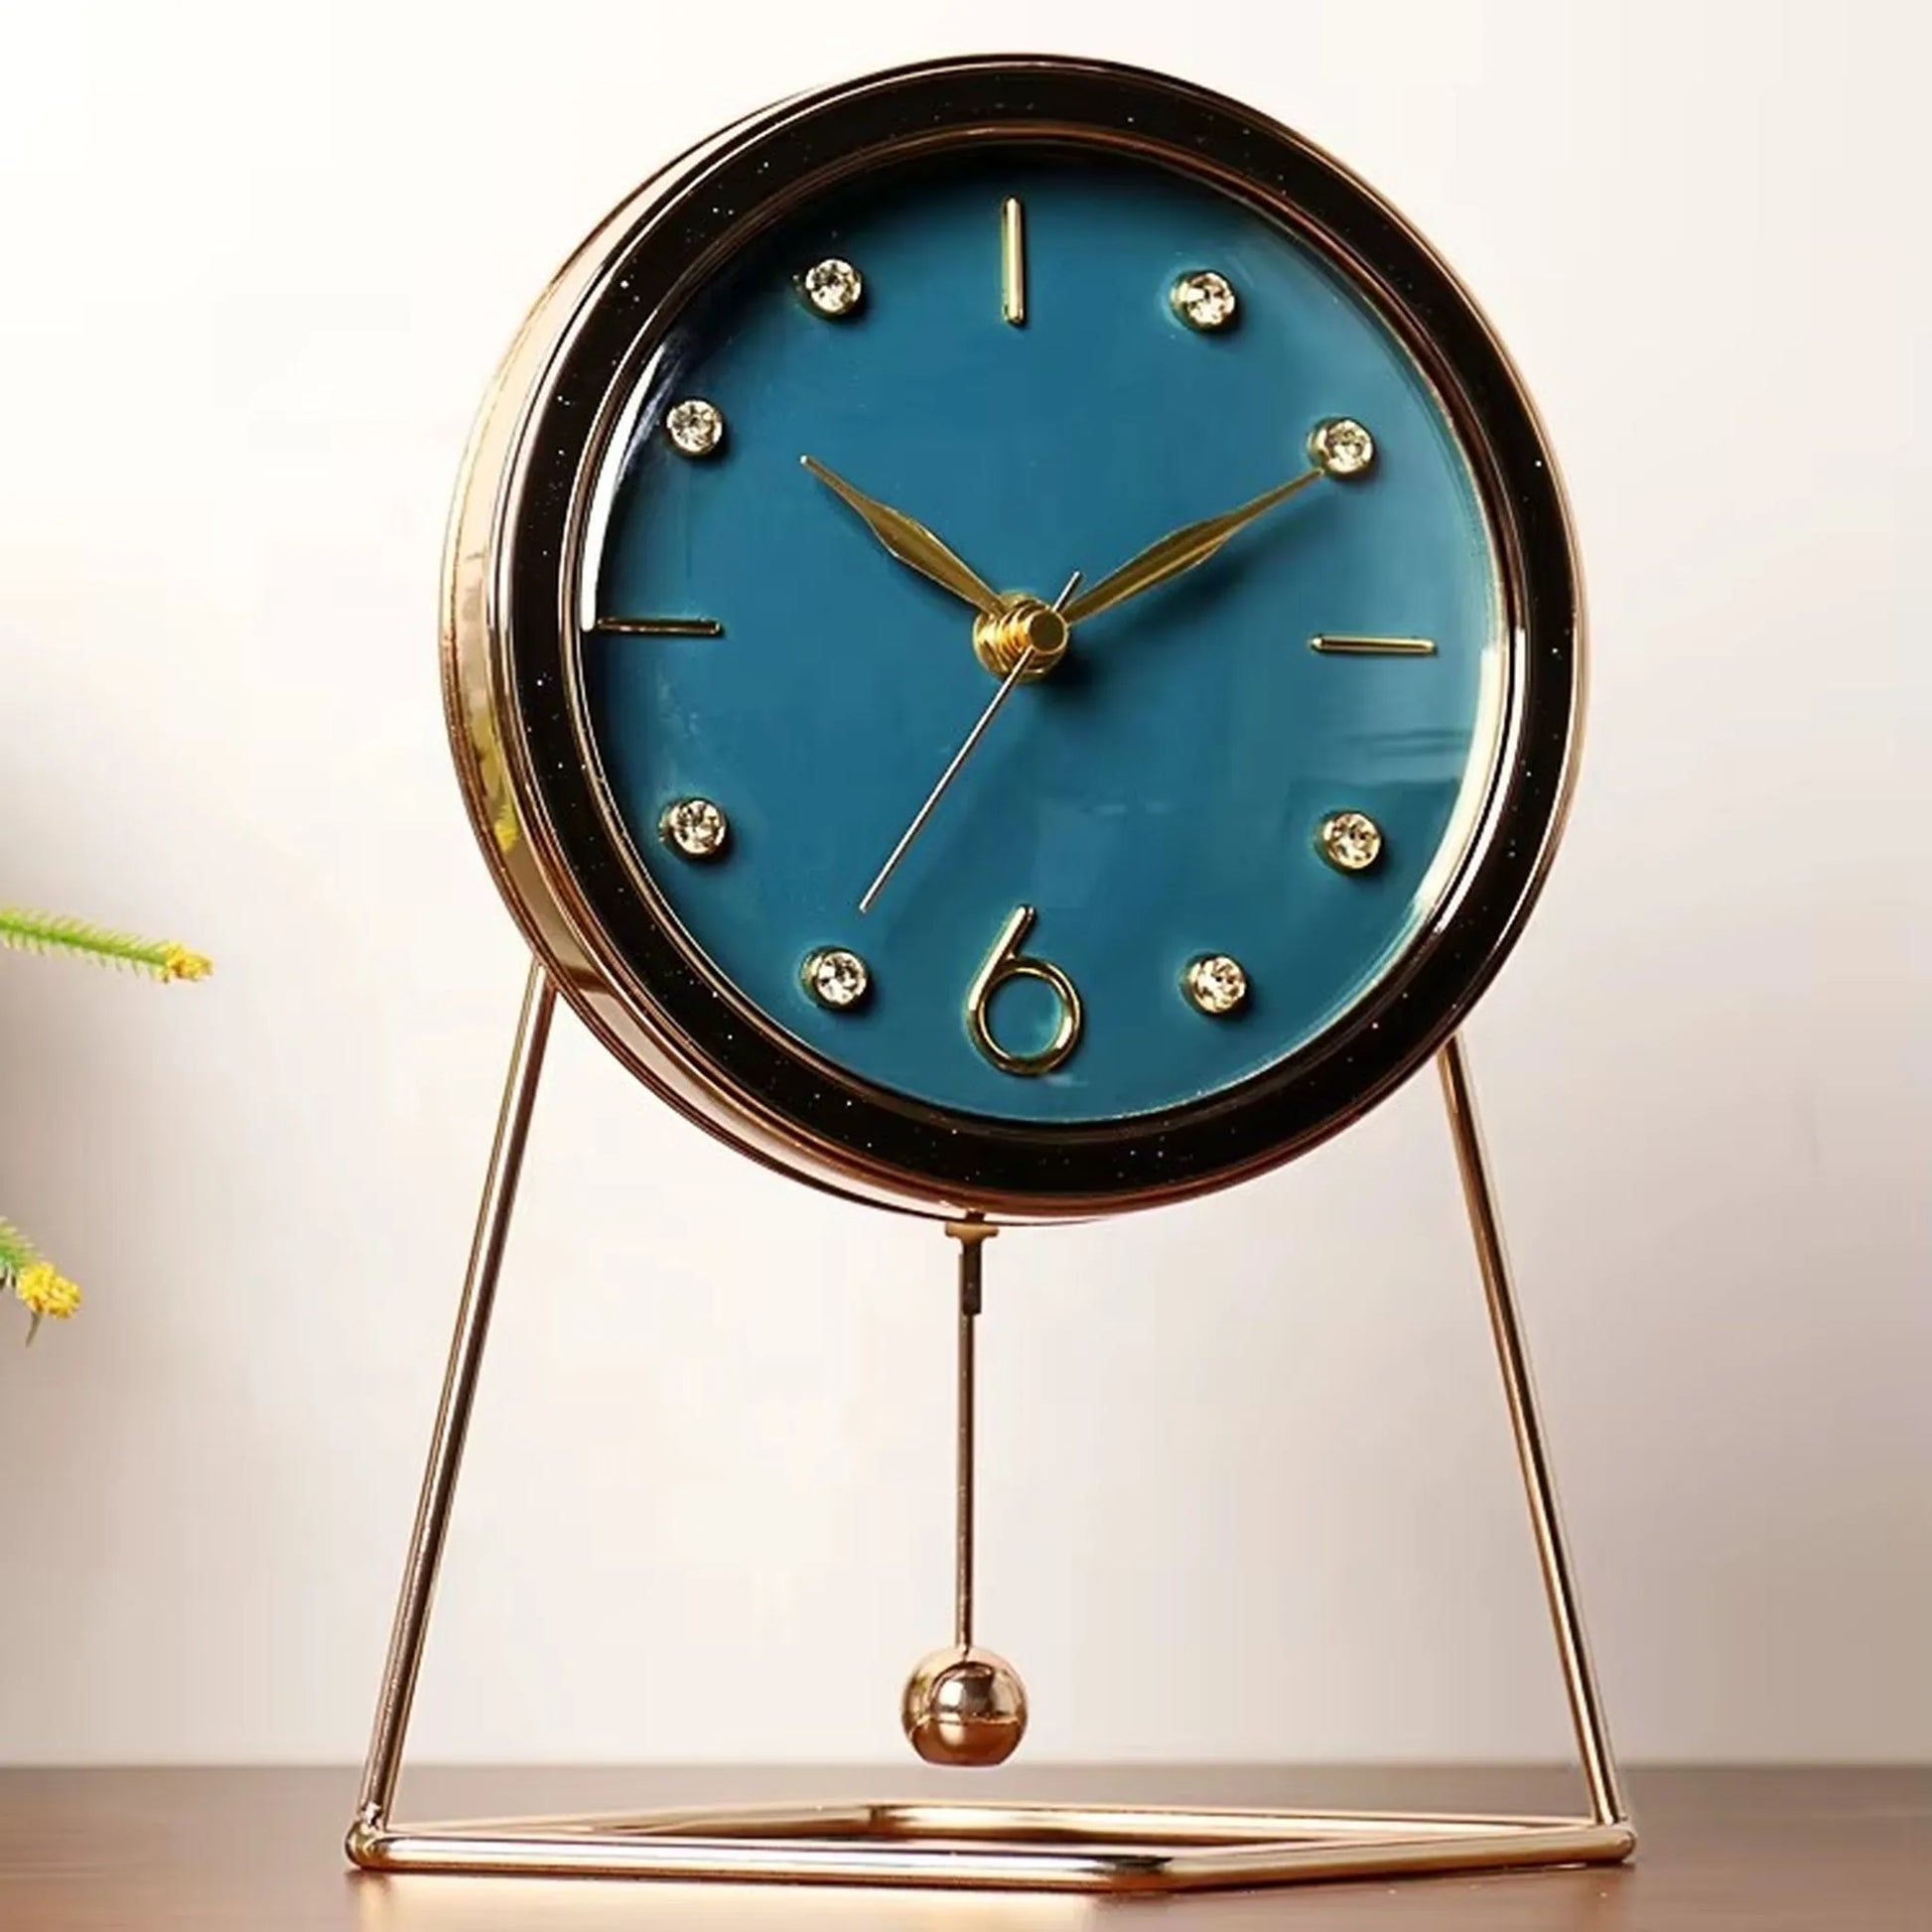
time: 10:10
